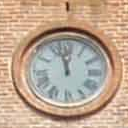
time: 11:57
